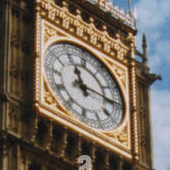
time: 11:14
